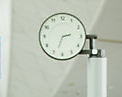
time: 2:33
